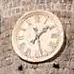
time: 1:27
